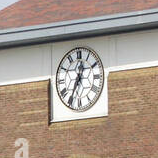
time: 12:34
